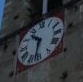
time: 10:32
